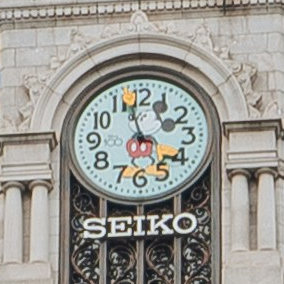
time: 3:57
